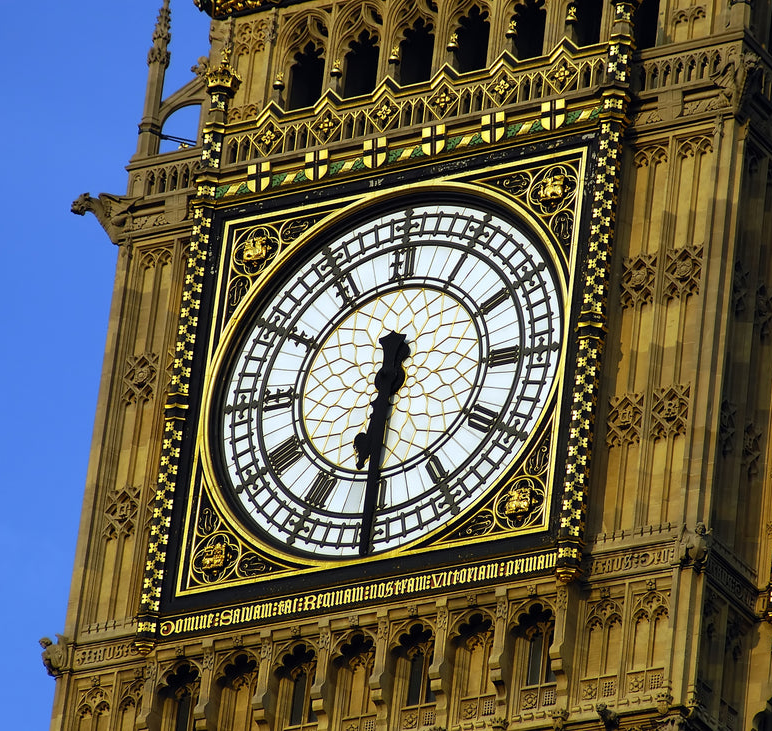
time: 6:30
